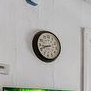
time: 8:41
